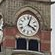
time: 4:03
